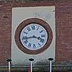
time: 3:43
